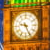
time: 9:26
